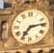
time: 7:13
